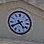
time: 4:39
